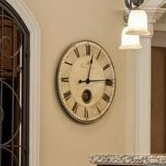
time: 12:14
